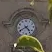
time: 4:40
